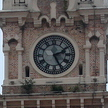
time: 2:25
